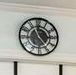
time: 11:24
